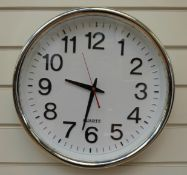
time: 9:32
